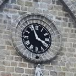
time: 3:57
